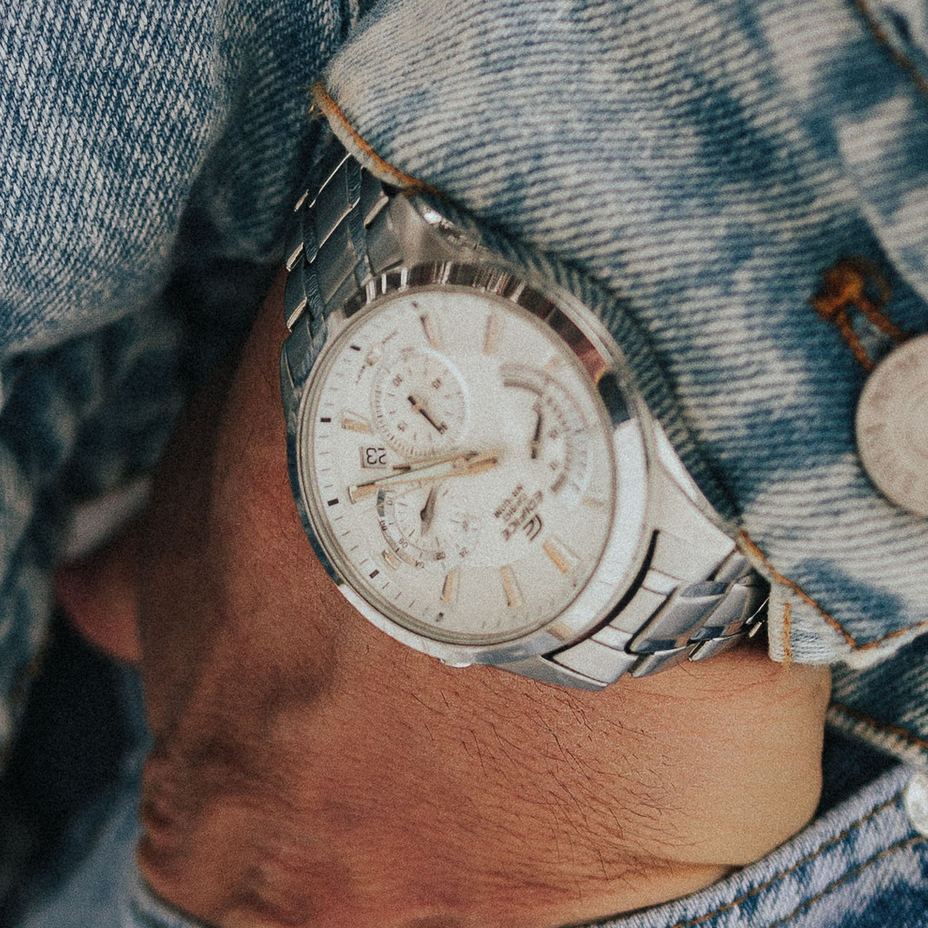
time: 10:40
